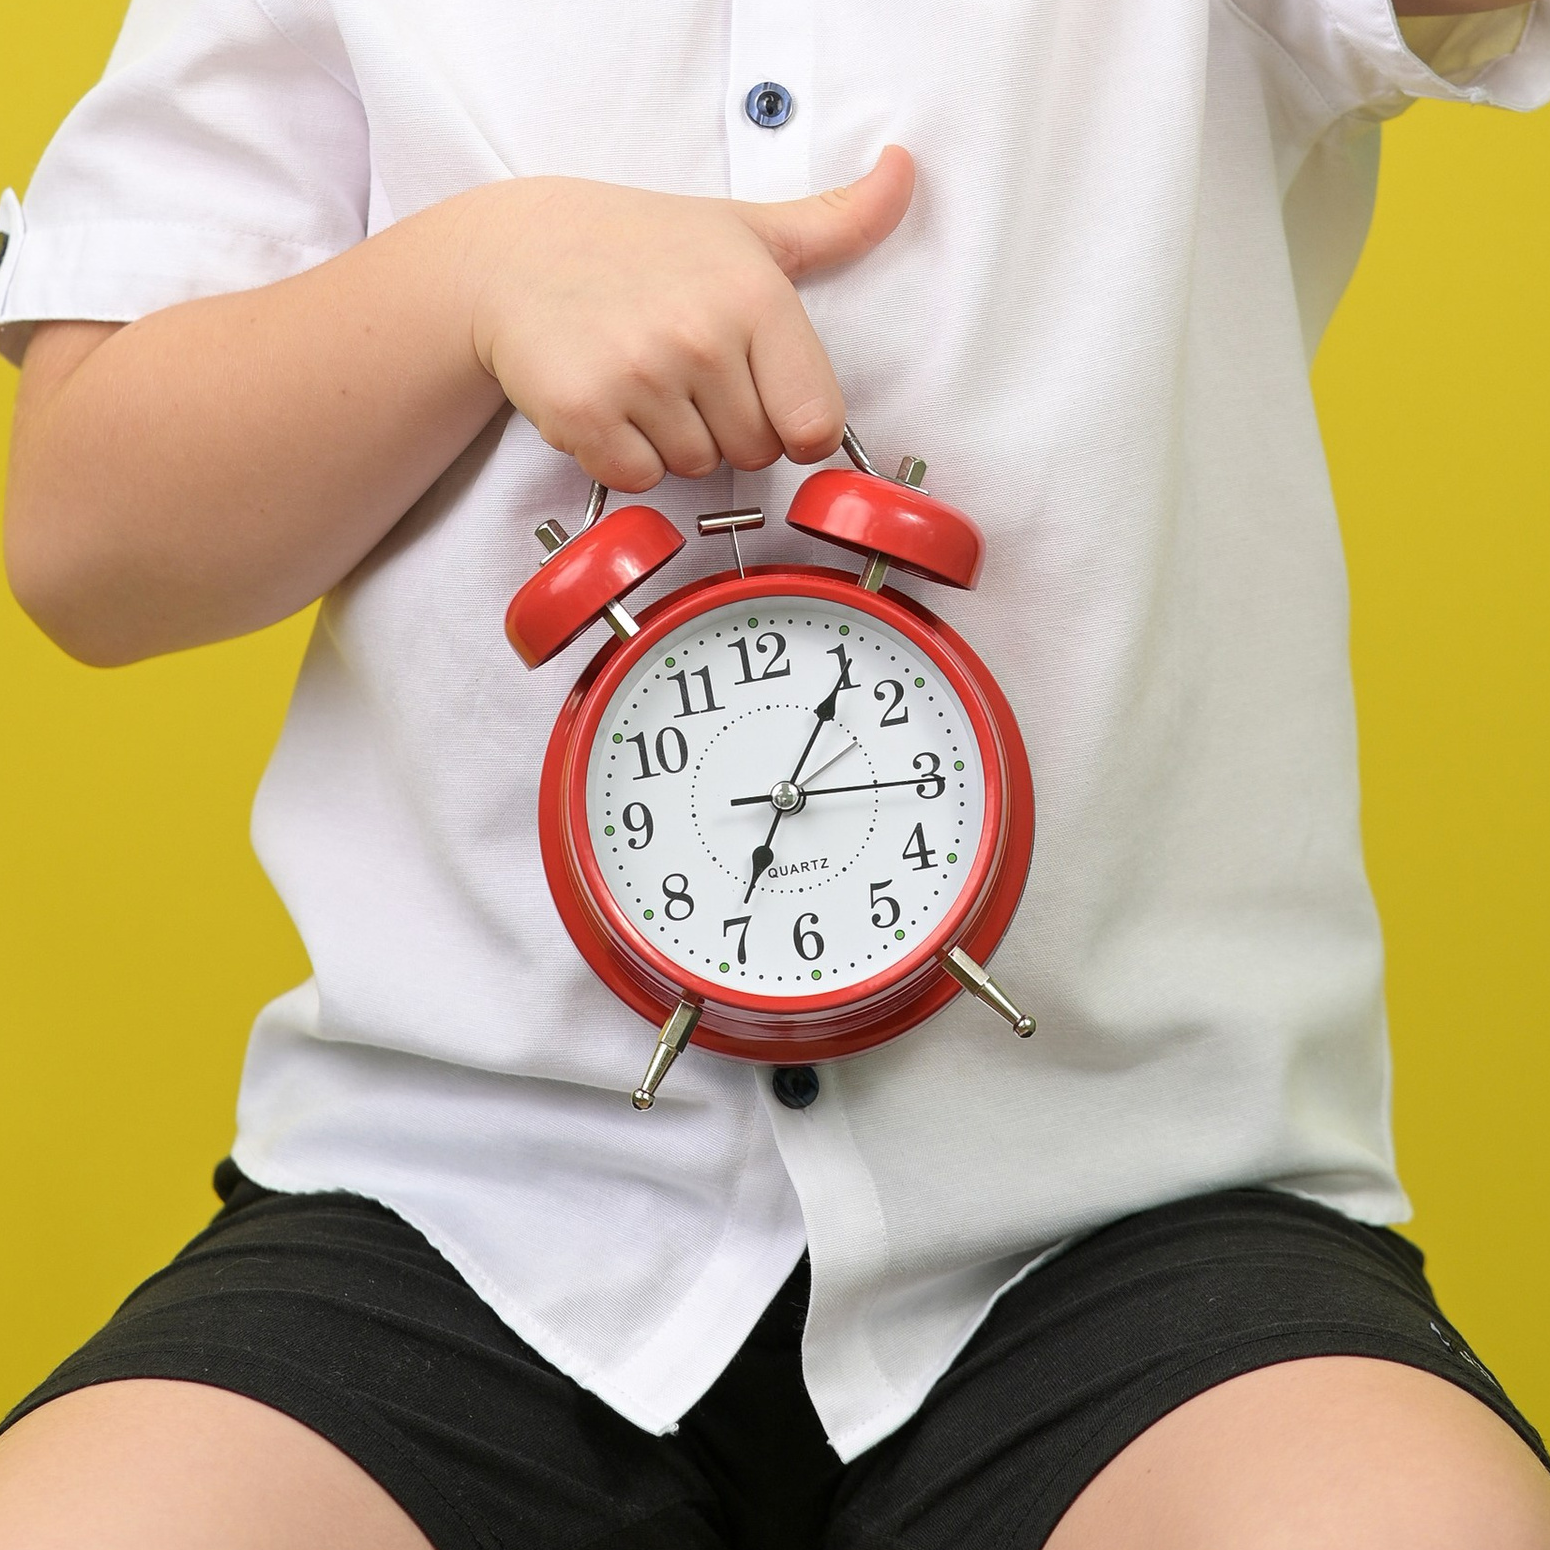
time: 7:06
